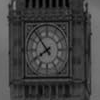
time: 7:52
